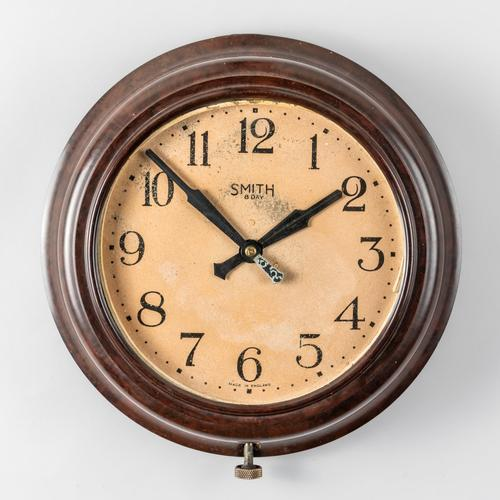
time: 1:52
